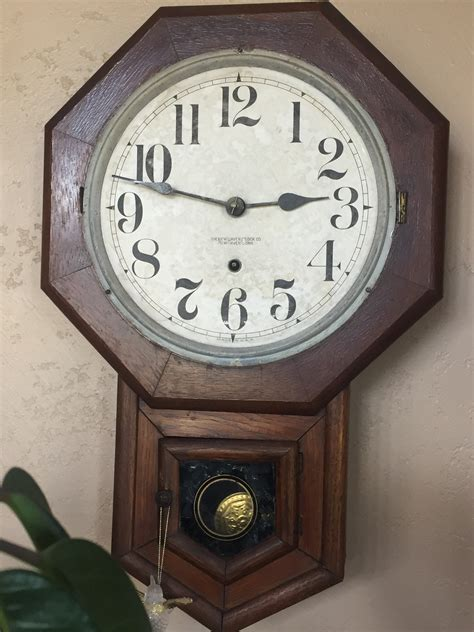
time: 2:47
